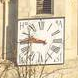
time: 9:45
